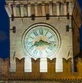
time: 8:17
